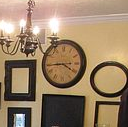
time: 3:44
